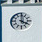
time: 4:00
